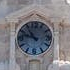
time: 10:47
